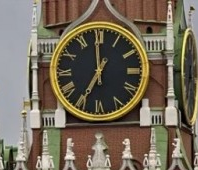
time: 6:59
